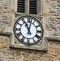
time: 11:02
